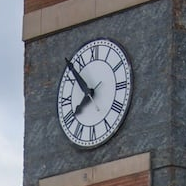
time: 7:52
